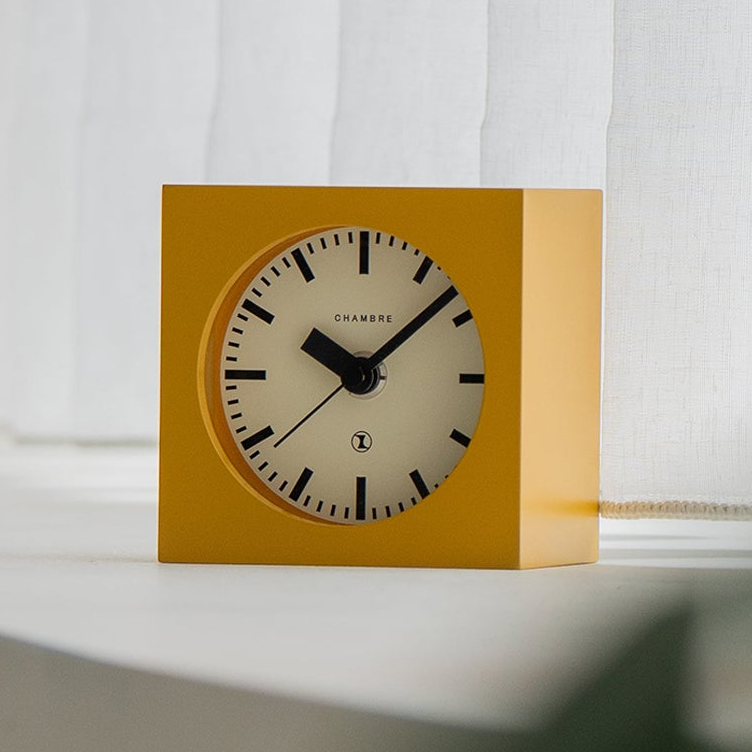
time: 10:07
